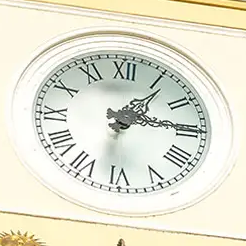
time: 1:14
